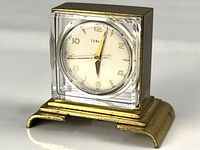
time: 6:02
